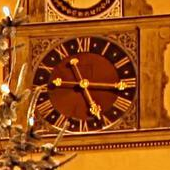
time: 5:15
